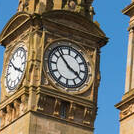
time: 3:52
